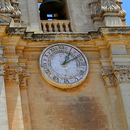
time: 1:10
